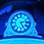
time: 5:14
